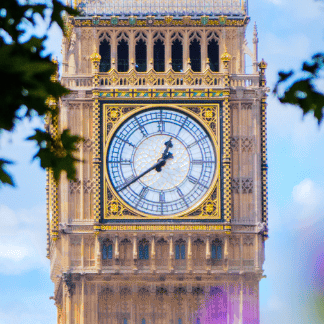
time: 12:39
